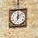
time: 12:07
